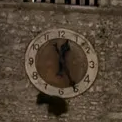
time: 12:25
